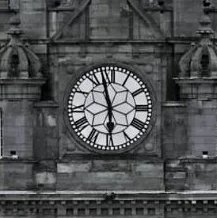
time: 5:57
